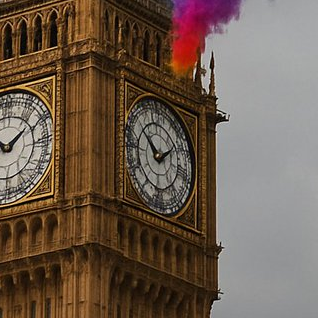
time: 1:50
